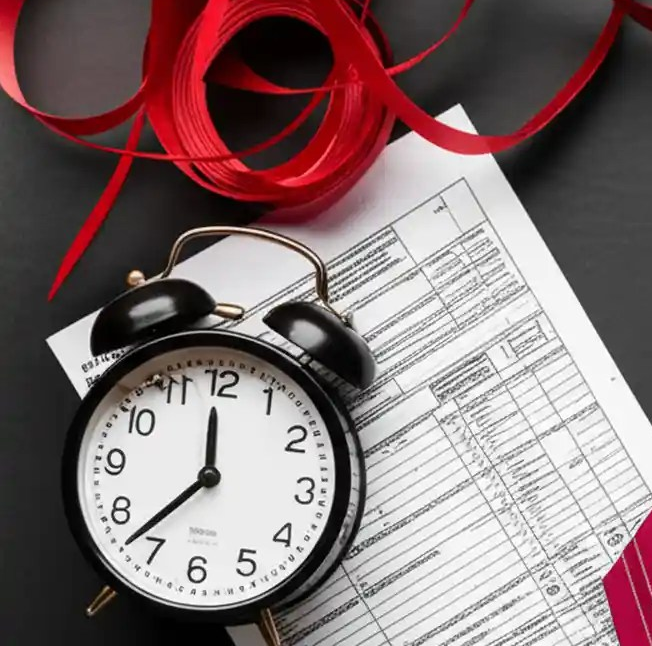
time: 11:37
